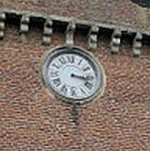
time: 3:17
